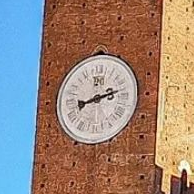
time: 8:12
